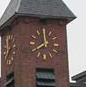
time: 7:59
